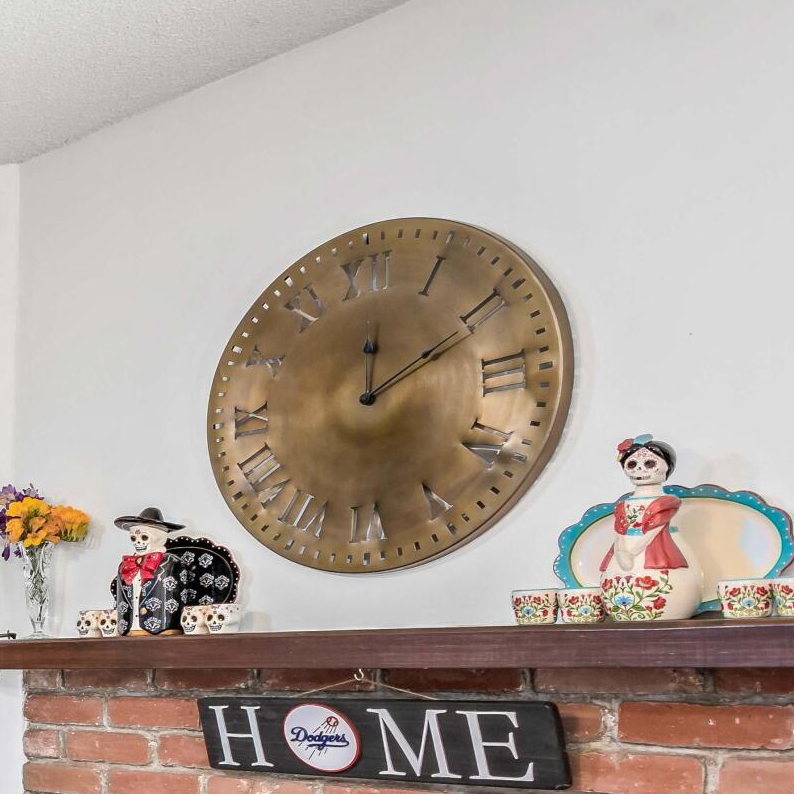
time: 12:10
